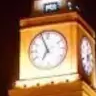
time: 6:56
